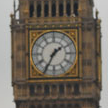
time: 1:34
